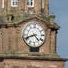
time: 4:41
